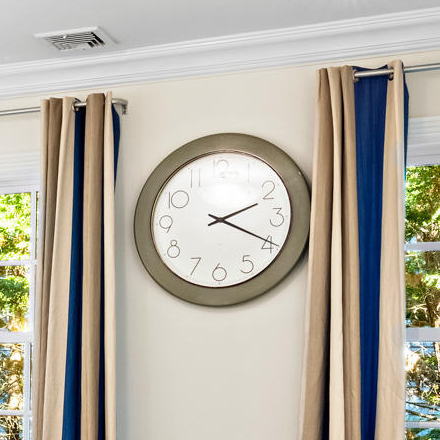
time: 2:19
